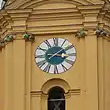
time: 3:09
